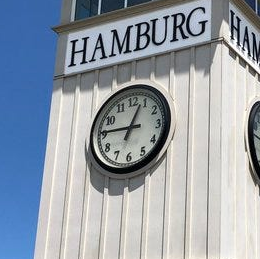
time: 12:45
